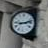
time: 9:12
